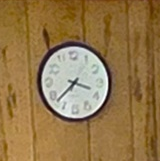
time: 3:38
